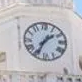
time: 1:34
